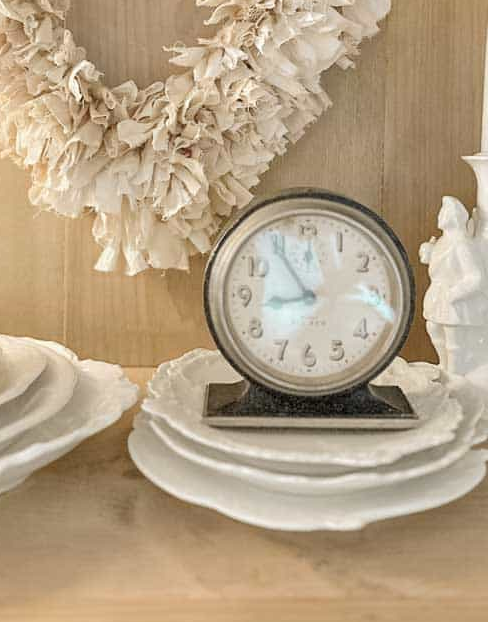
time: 8:54
